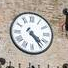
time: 4:23
